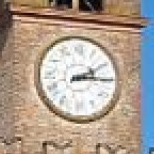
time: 2:14
